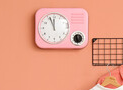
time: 11:56
